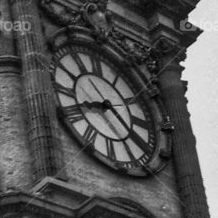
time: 8:21
